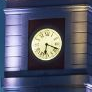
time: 6:18
